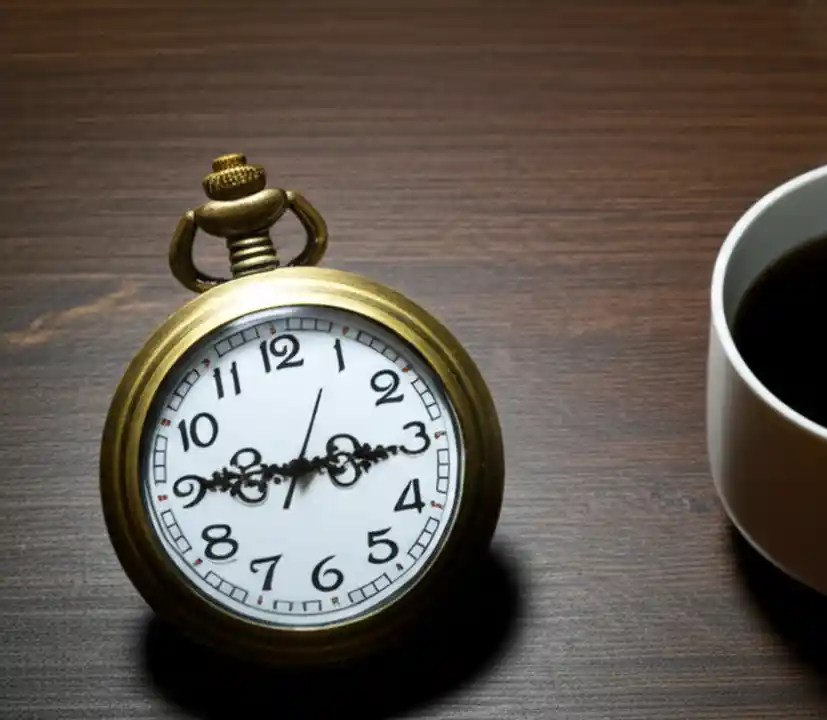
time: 9:15
